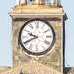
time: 9:41
